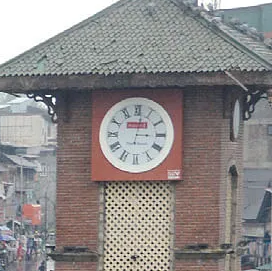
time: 3:01
